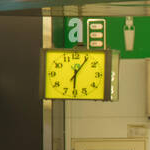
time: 6:06
